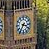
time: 3:35
